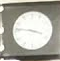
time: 3:46
